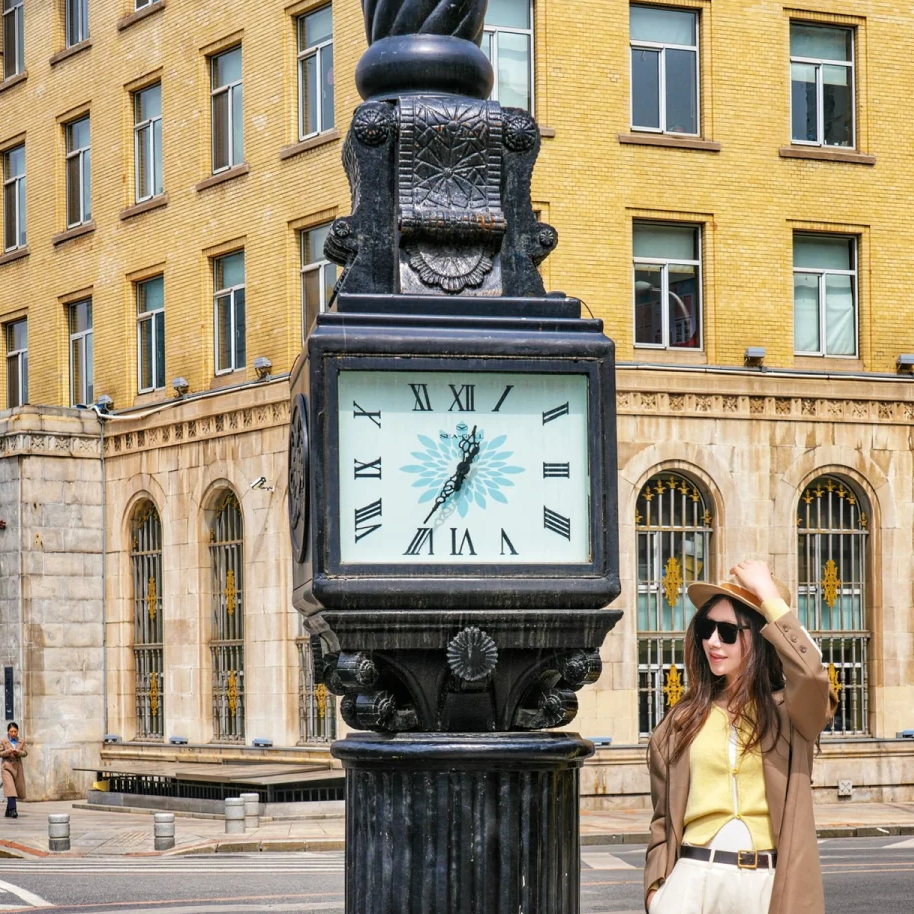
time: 12:35
